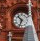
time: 10:33
